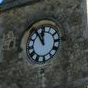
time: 11:55
